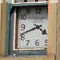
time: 3:41
